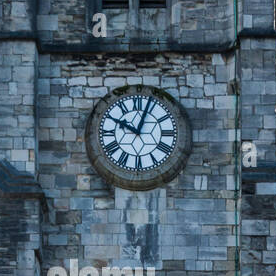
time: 10:03
